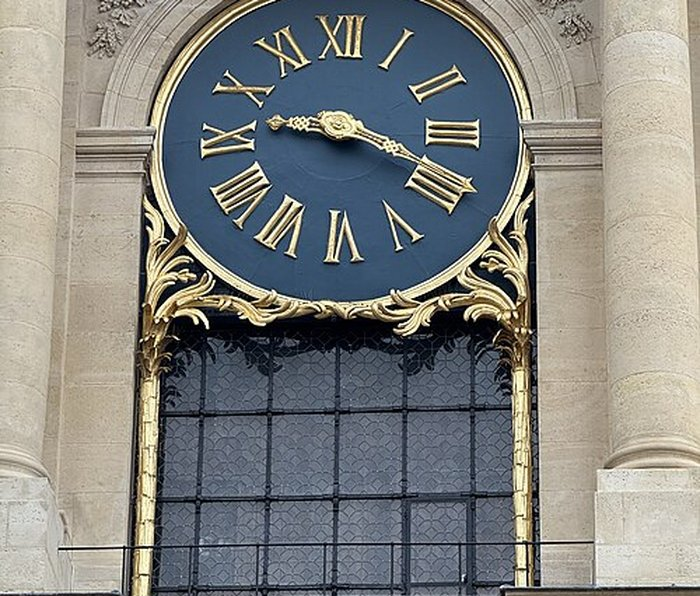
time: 9:18
